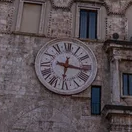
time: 6:16
